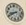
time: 8:40
